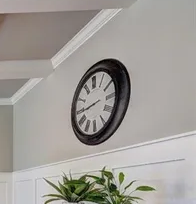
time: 8:43
